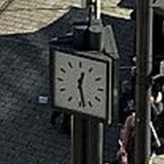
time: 12:27
